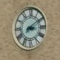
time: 3:09
